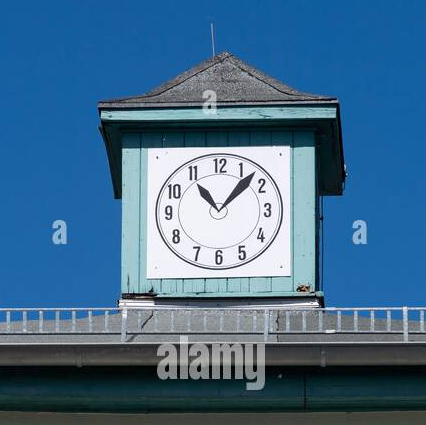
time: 11:07
